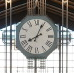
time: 8:04
